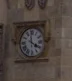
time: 3:58
